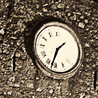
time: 1:32
